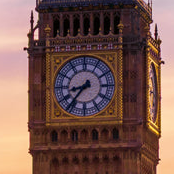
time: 8:36
